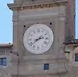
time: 2:38
